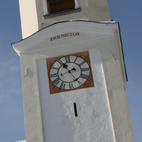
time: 11:25
